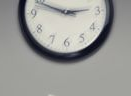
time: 2:48
